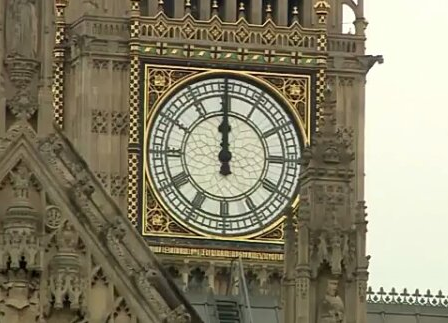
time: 11:59
